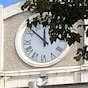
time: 11:52
